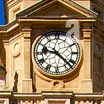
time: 9:22
